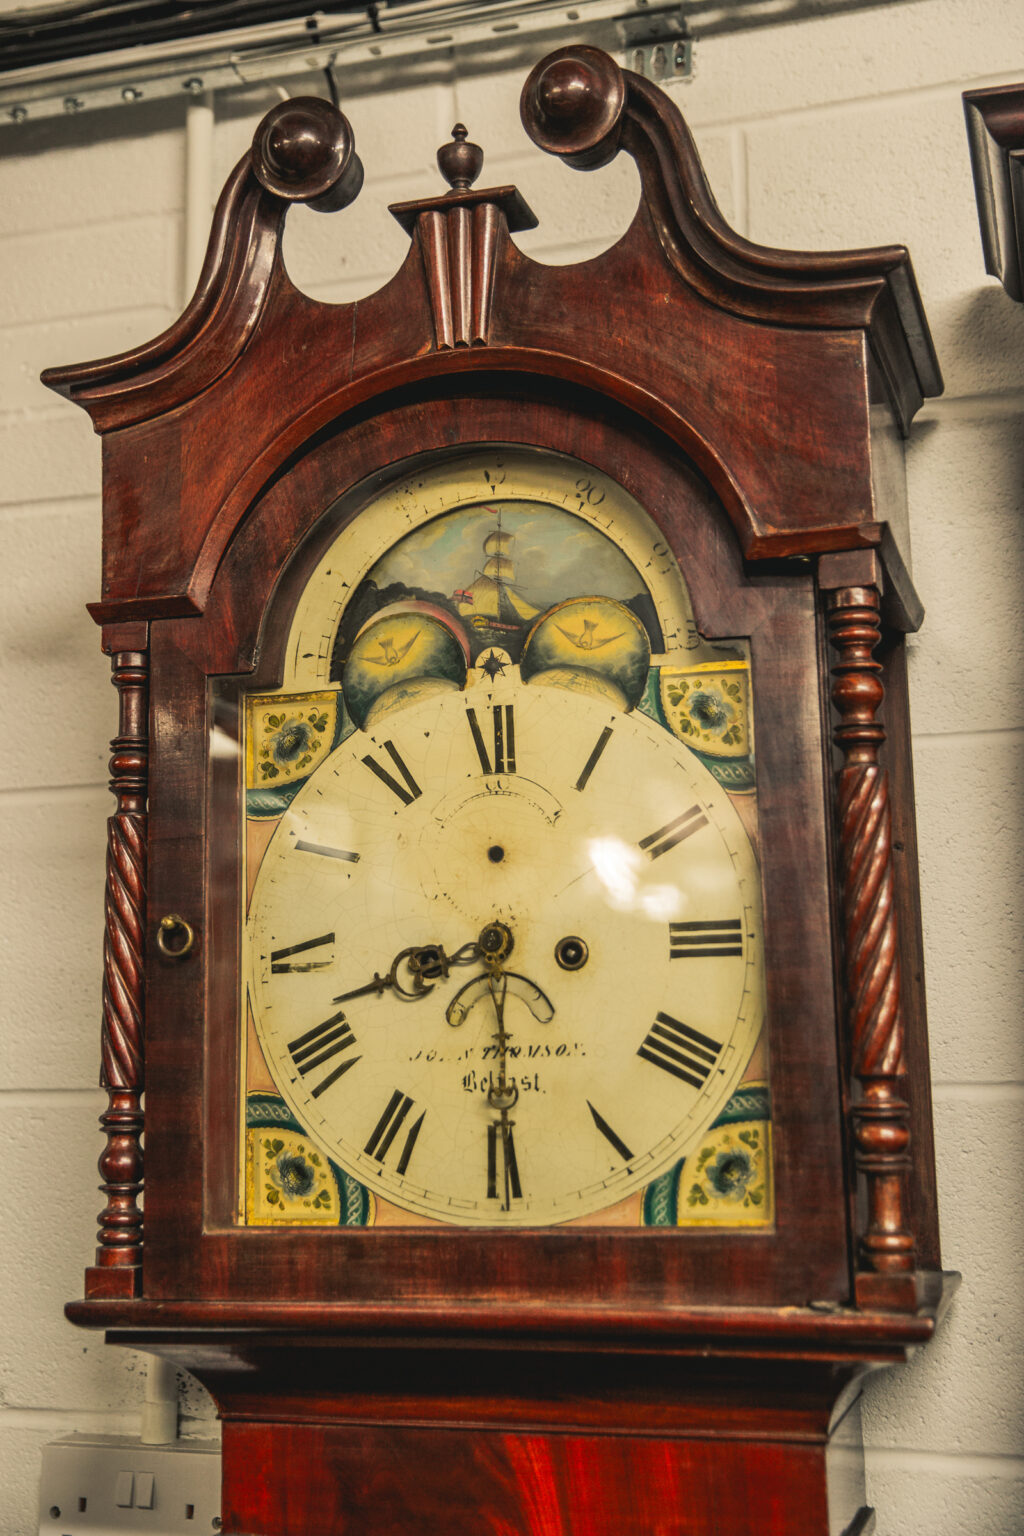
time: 8:29
